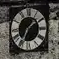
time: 1:34
